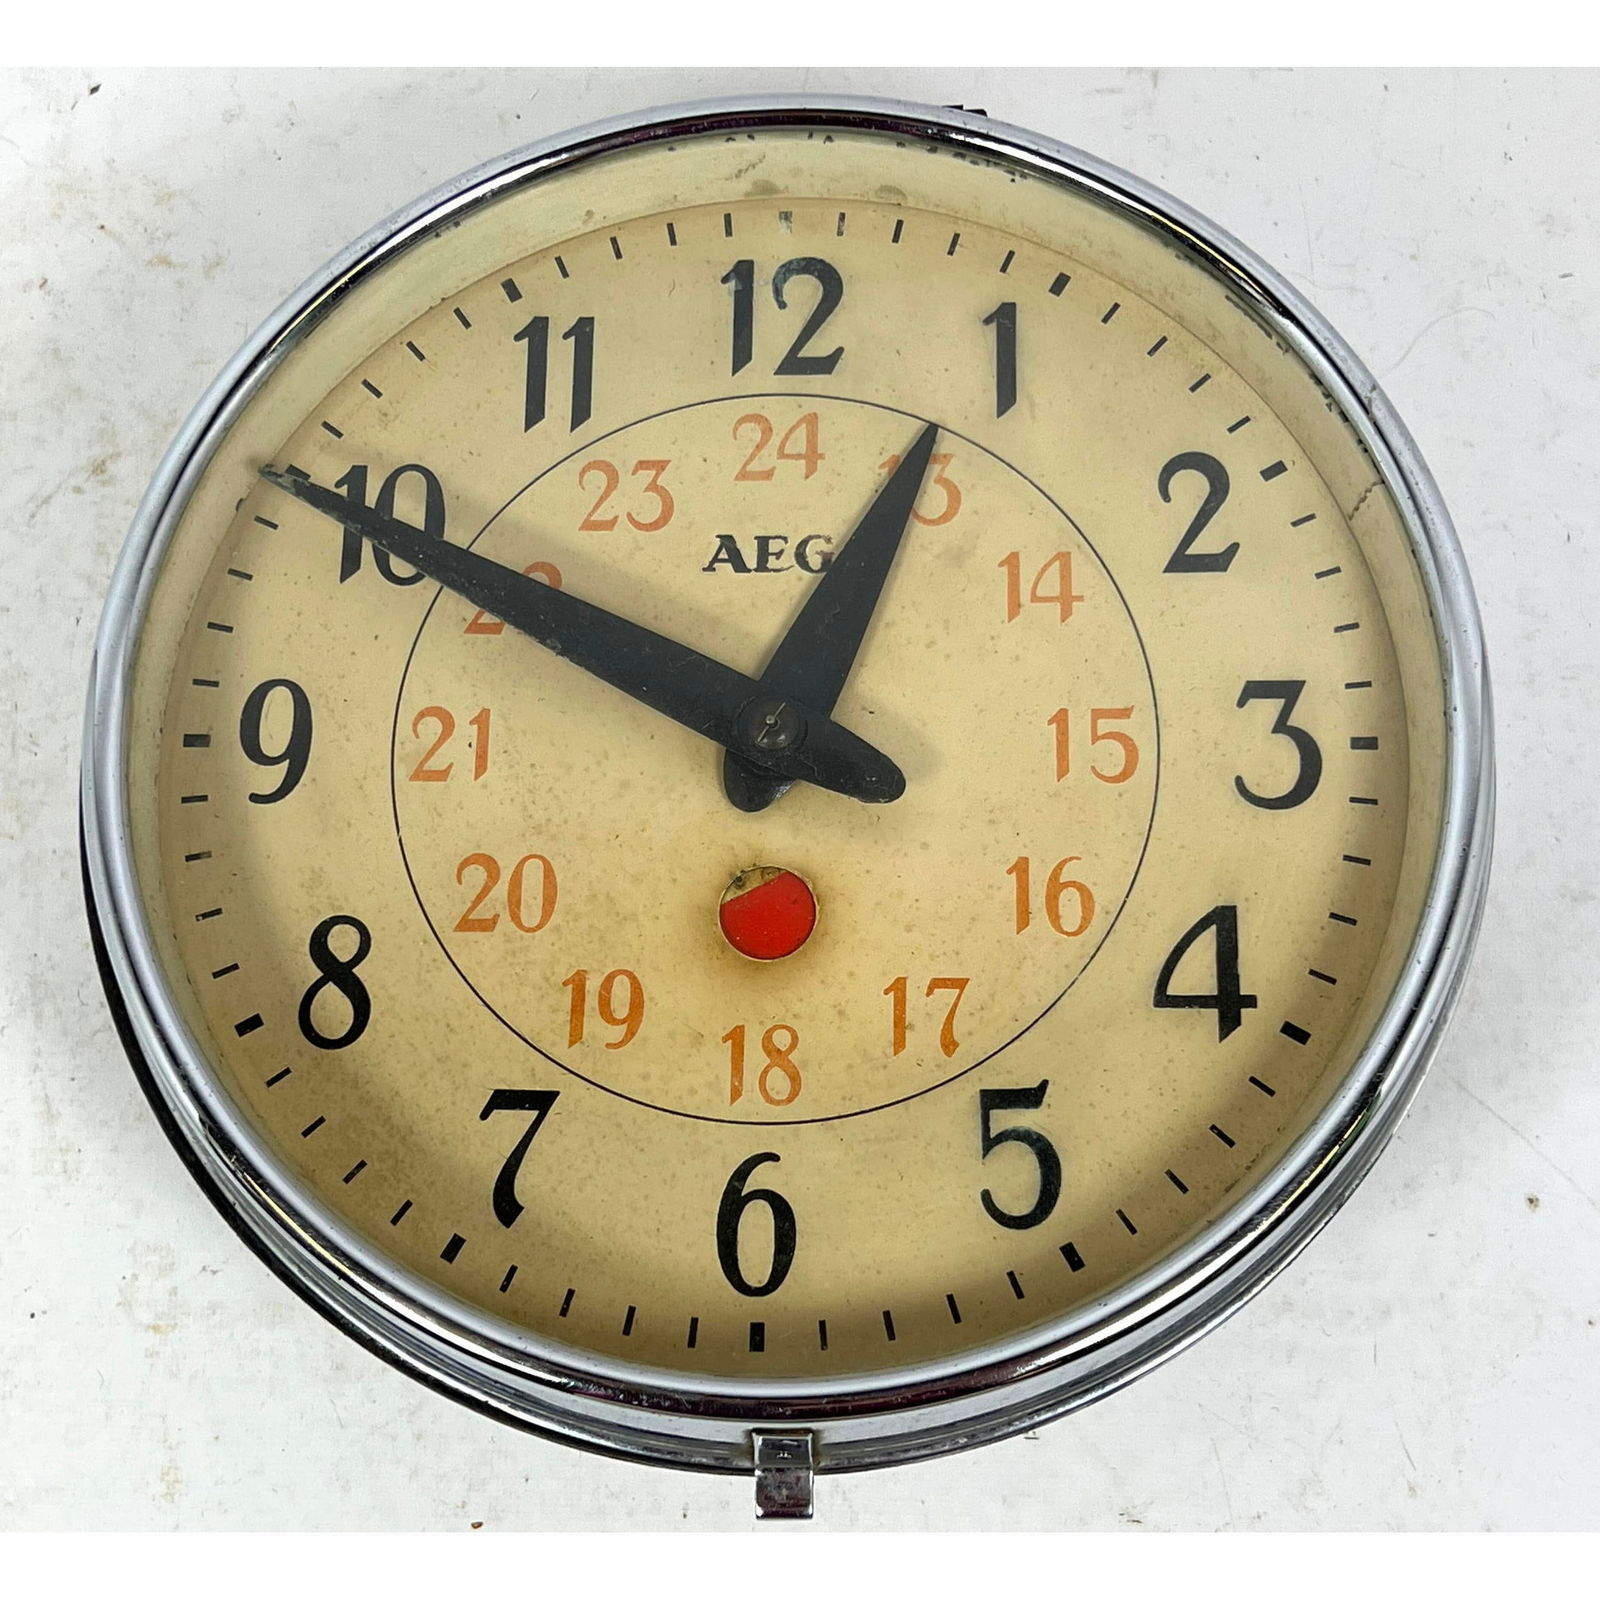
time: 12:49
